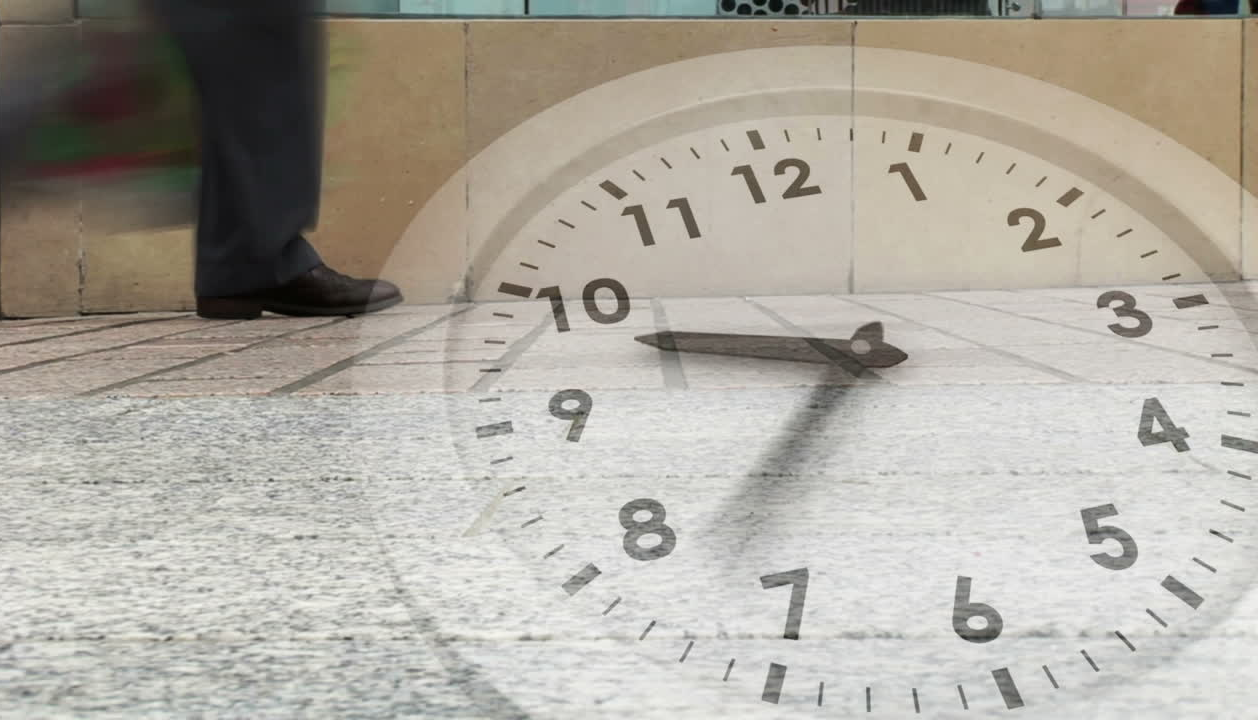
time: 9:38
